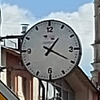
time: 1:19
